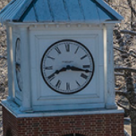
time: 8:16
